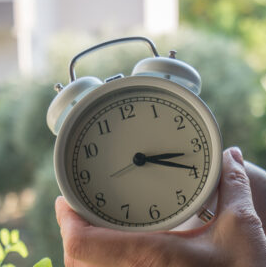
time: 3:19
